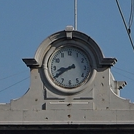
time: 8:40
